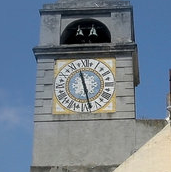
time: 11:27
